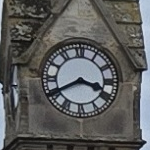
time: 3:40
